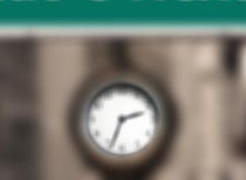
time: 2:33
